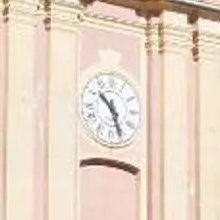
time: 10:26
